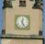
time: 12:26
